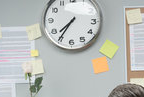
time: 7:35
